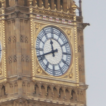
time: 11:41
